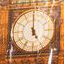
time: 4:59
